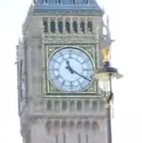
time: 11:20
